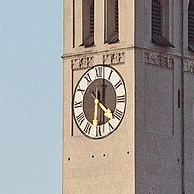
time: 4:31
